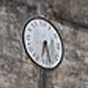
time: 6:27
